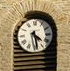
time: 4:28
